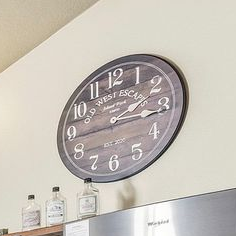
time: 2:16
